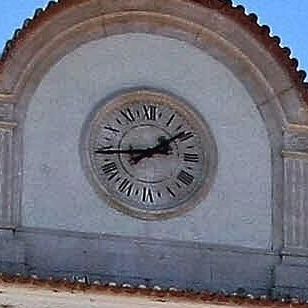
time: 1:44
